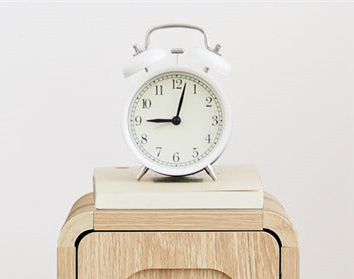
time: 9:02
